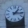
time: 1:16
